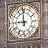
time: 8:59
